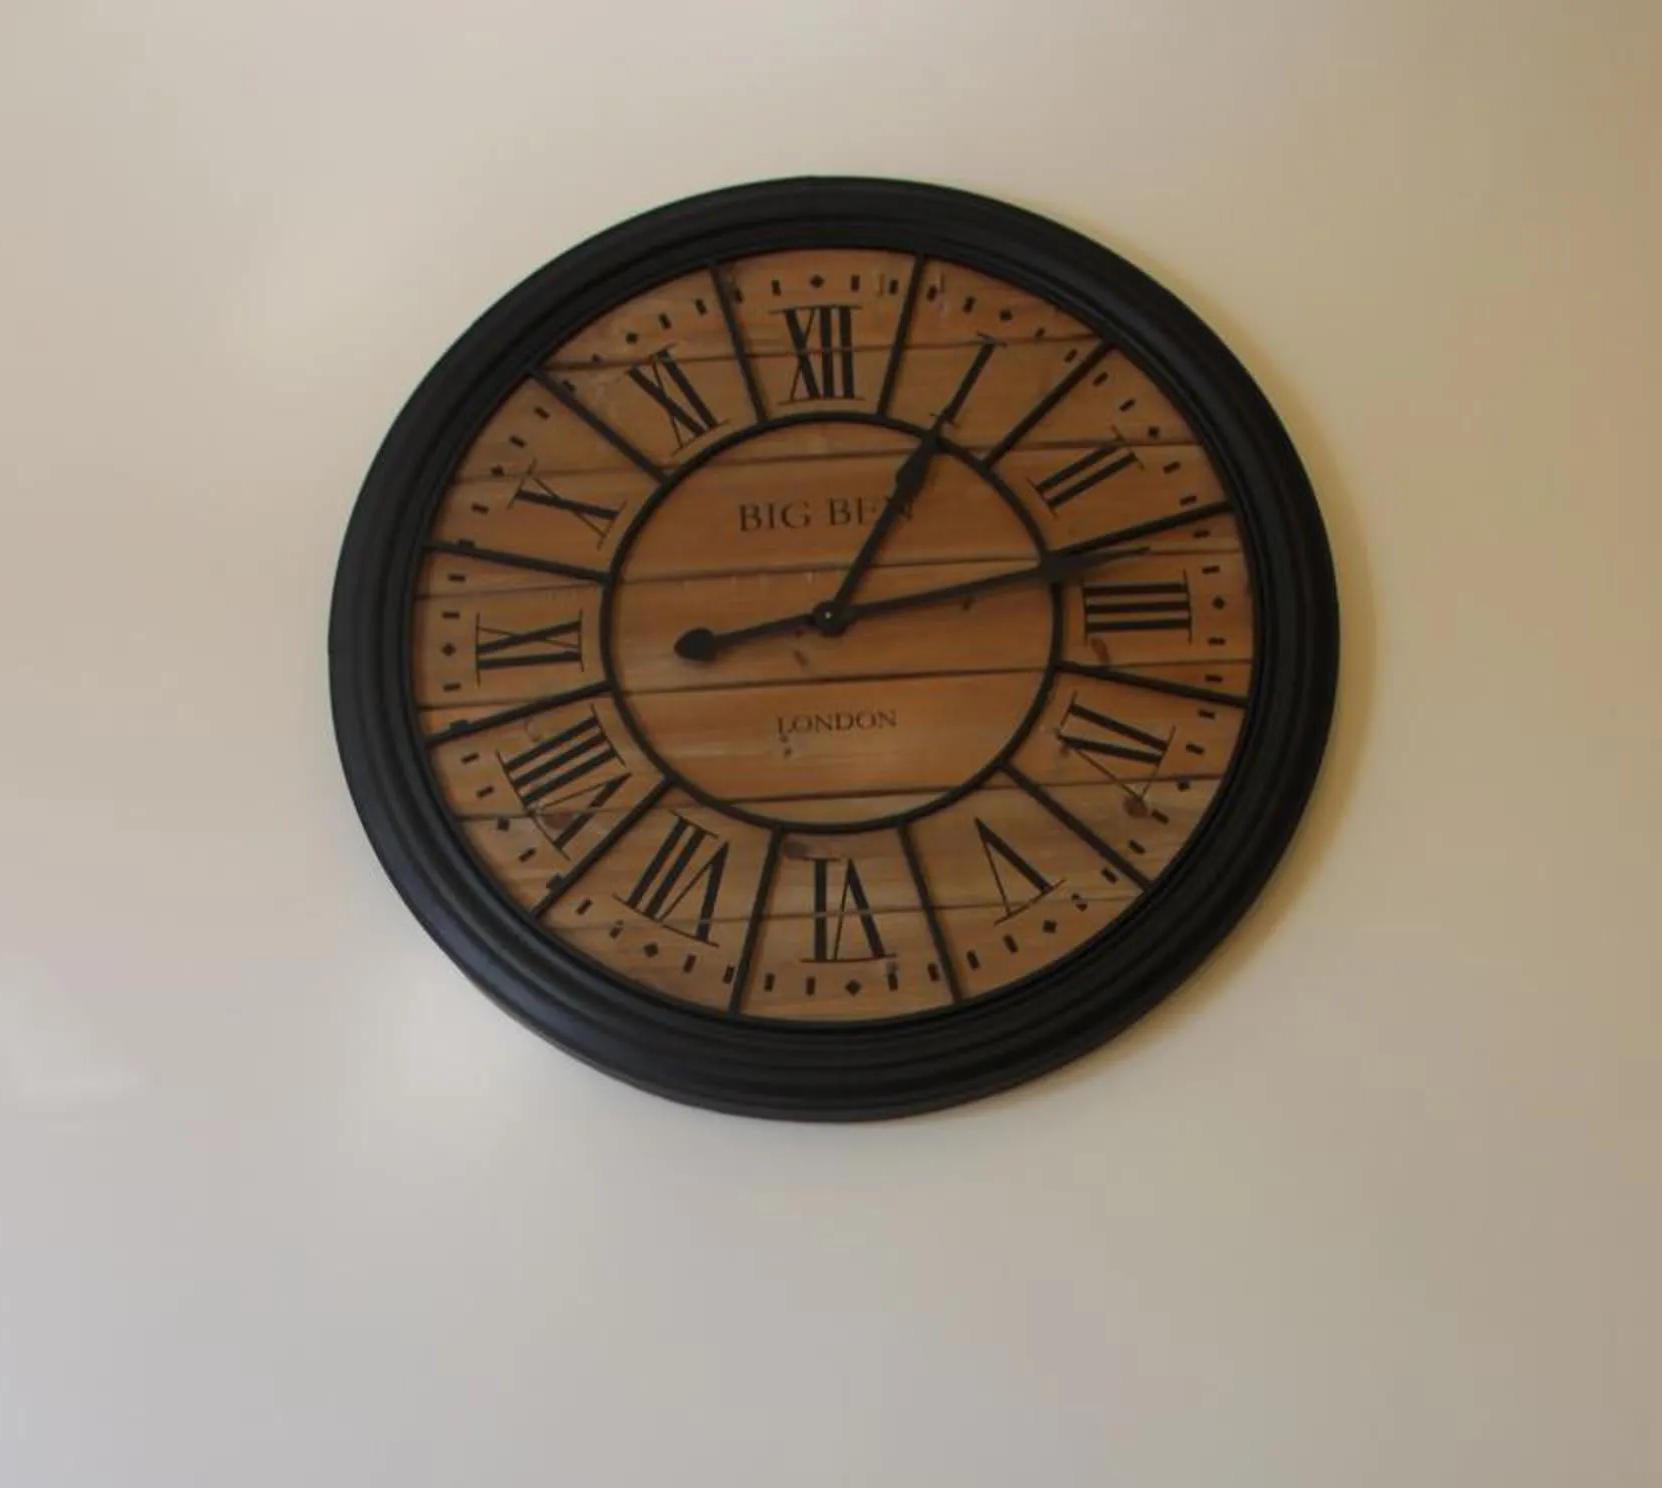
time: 1:13
